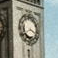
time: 3:40
